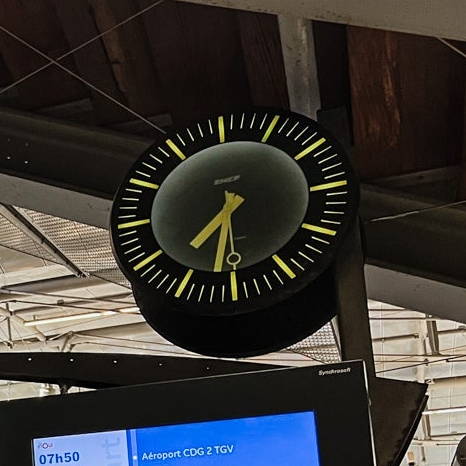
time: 7:32
